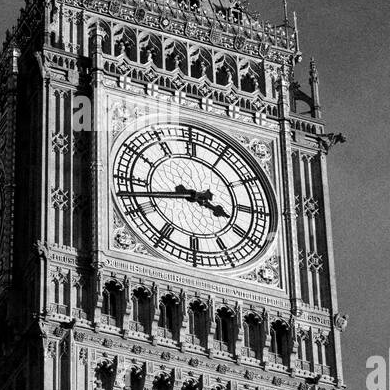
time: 3:42
